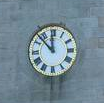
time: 11:52
